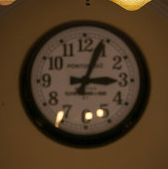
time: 3:03
